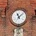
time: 11:07
